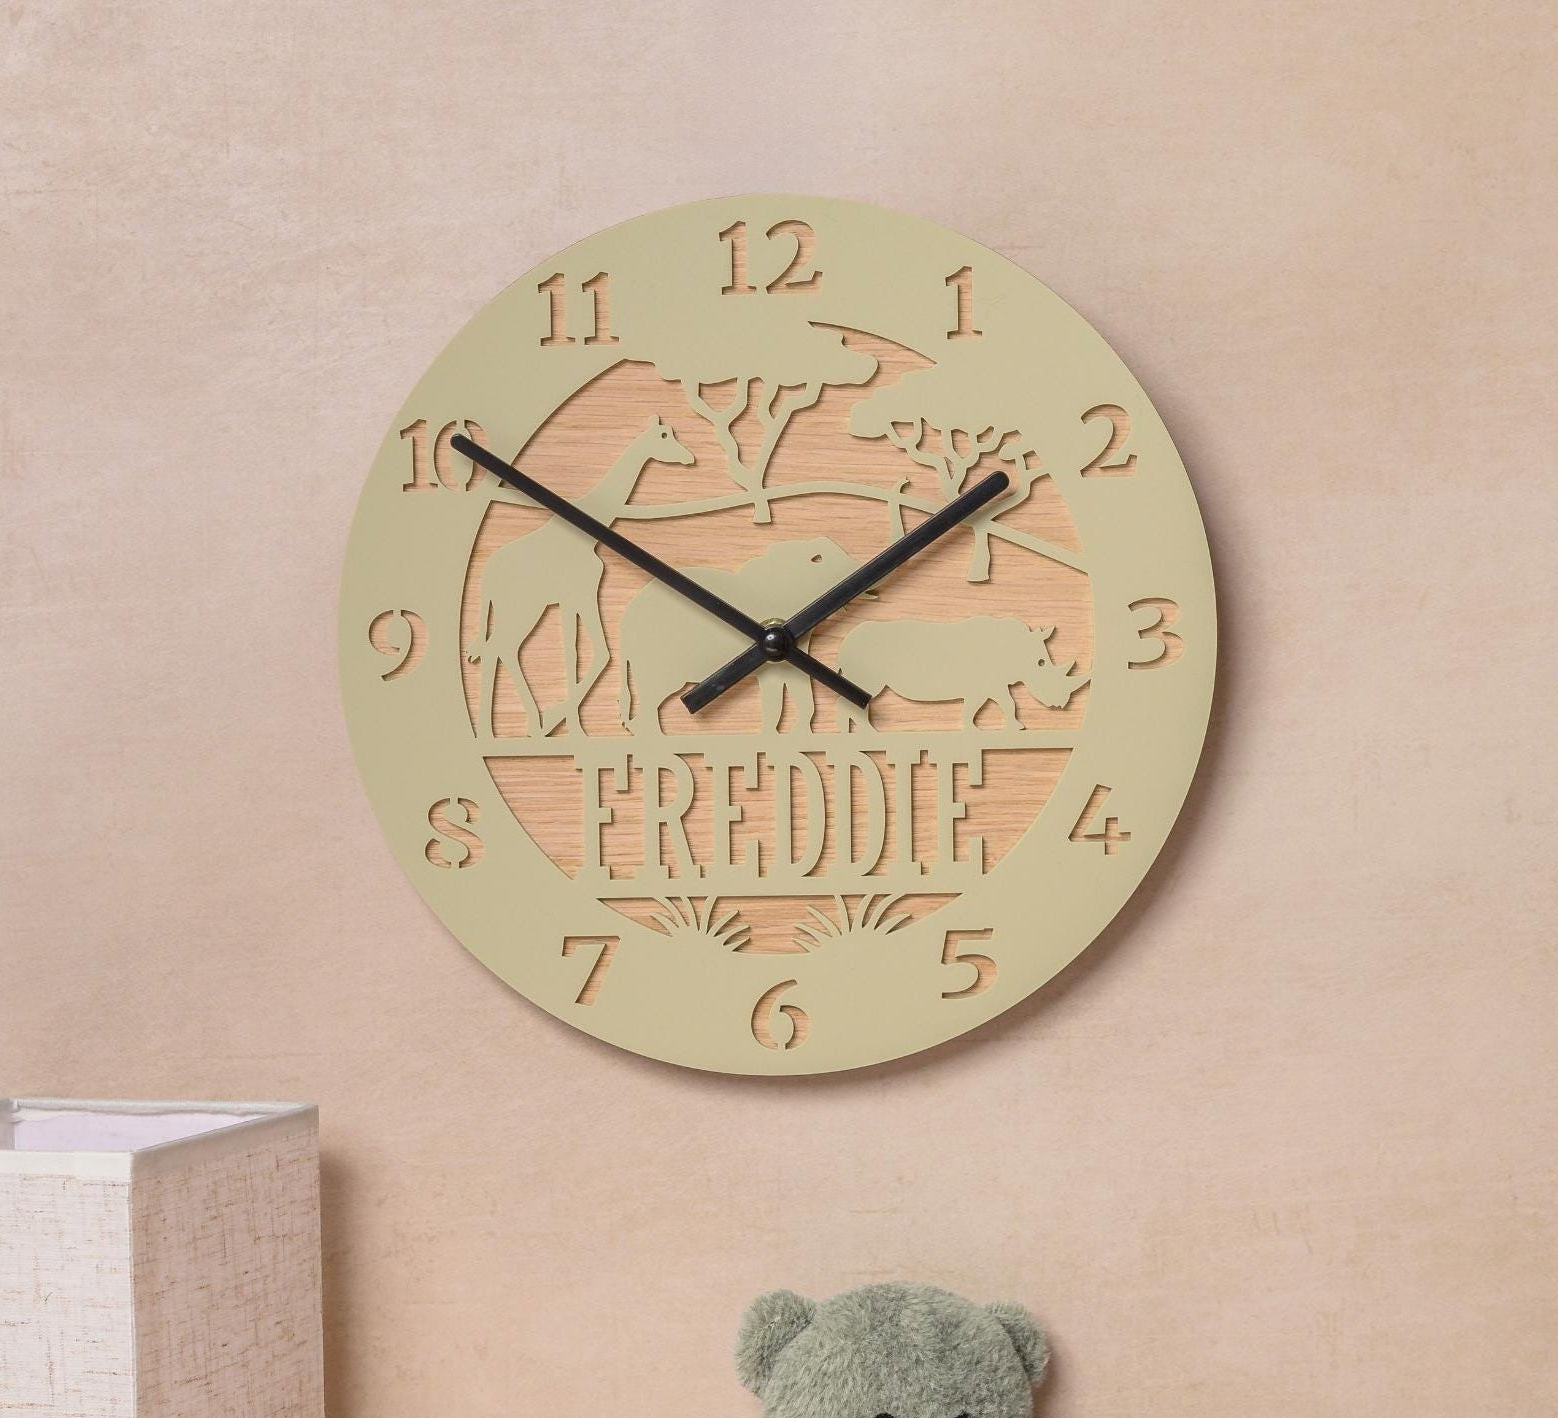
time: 1:50
